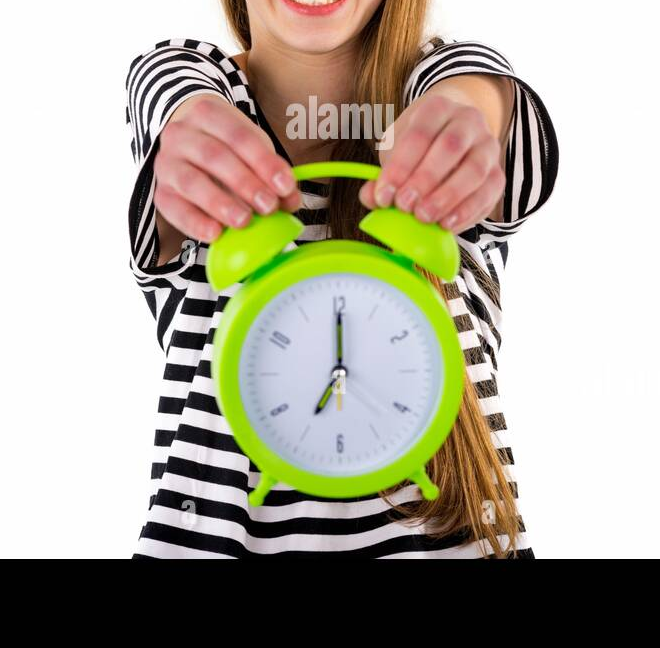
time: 7:00
